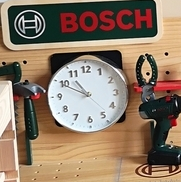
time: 10:49
